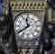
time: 11:39
